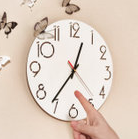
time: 12:36
